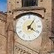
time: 4:06
